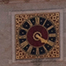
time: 4:19
